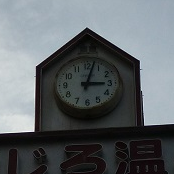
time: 3:02
